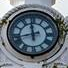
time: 11:42
